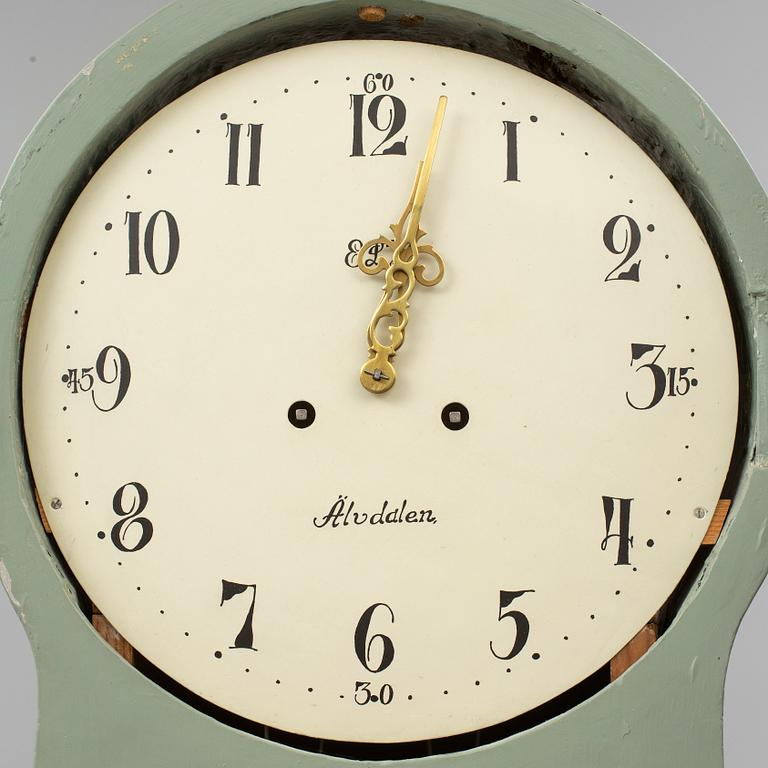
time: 12:02
